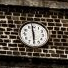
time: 5:58
